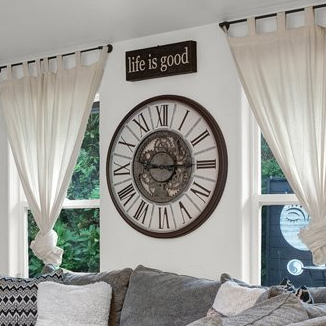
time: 9:14
